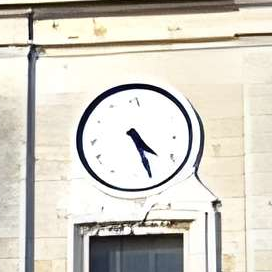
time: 4:26
